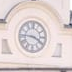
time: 3:45
